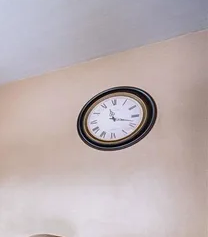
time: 11:17
